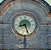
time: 8:26
